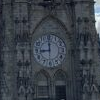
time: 8:59
